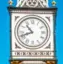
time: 10:41
